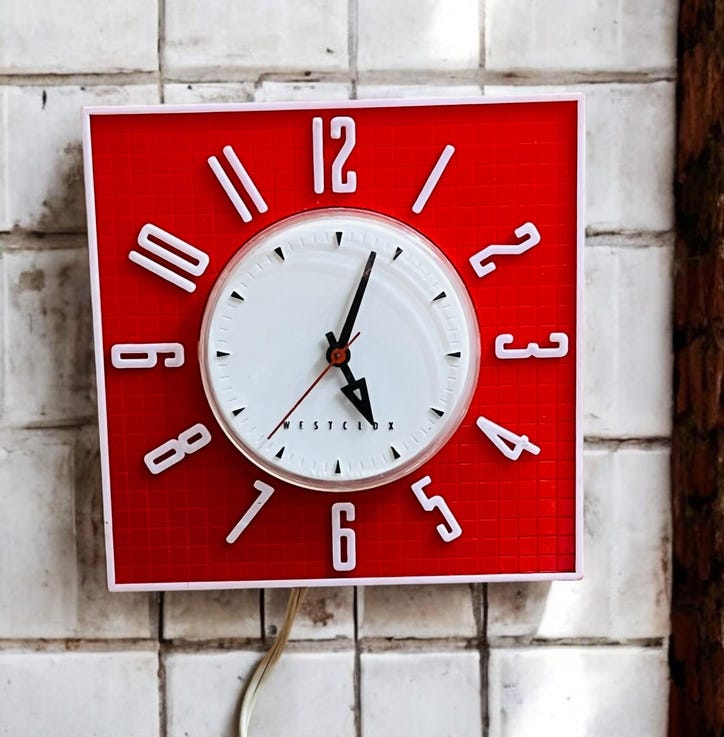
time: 5:03
